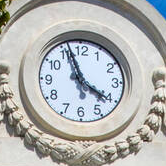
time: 3:56
